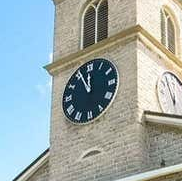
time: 11:55
